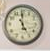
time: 4:59
